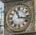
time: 11:17
